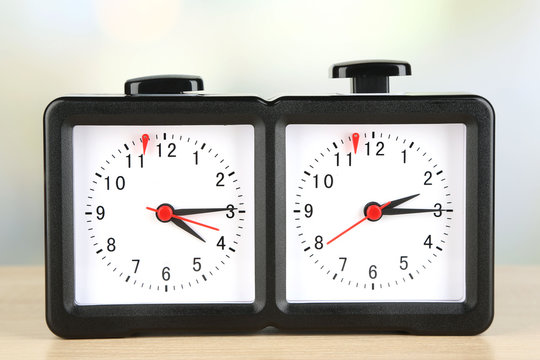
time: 4:14
